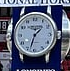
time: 1:33
